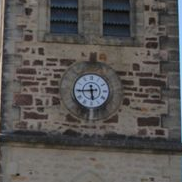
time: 5:44
